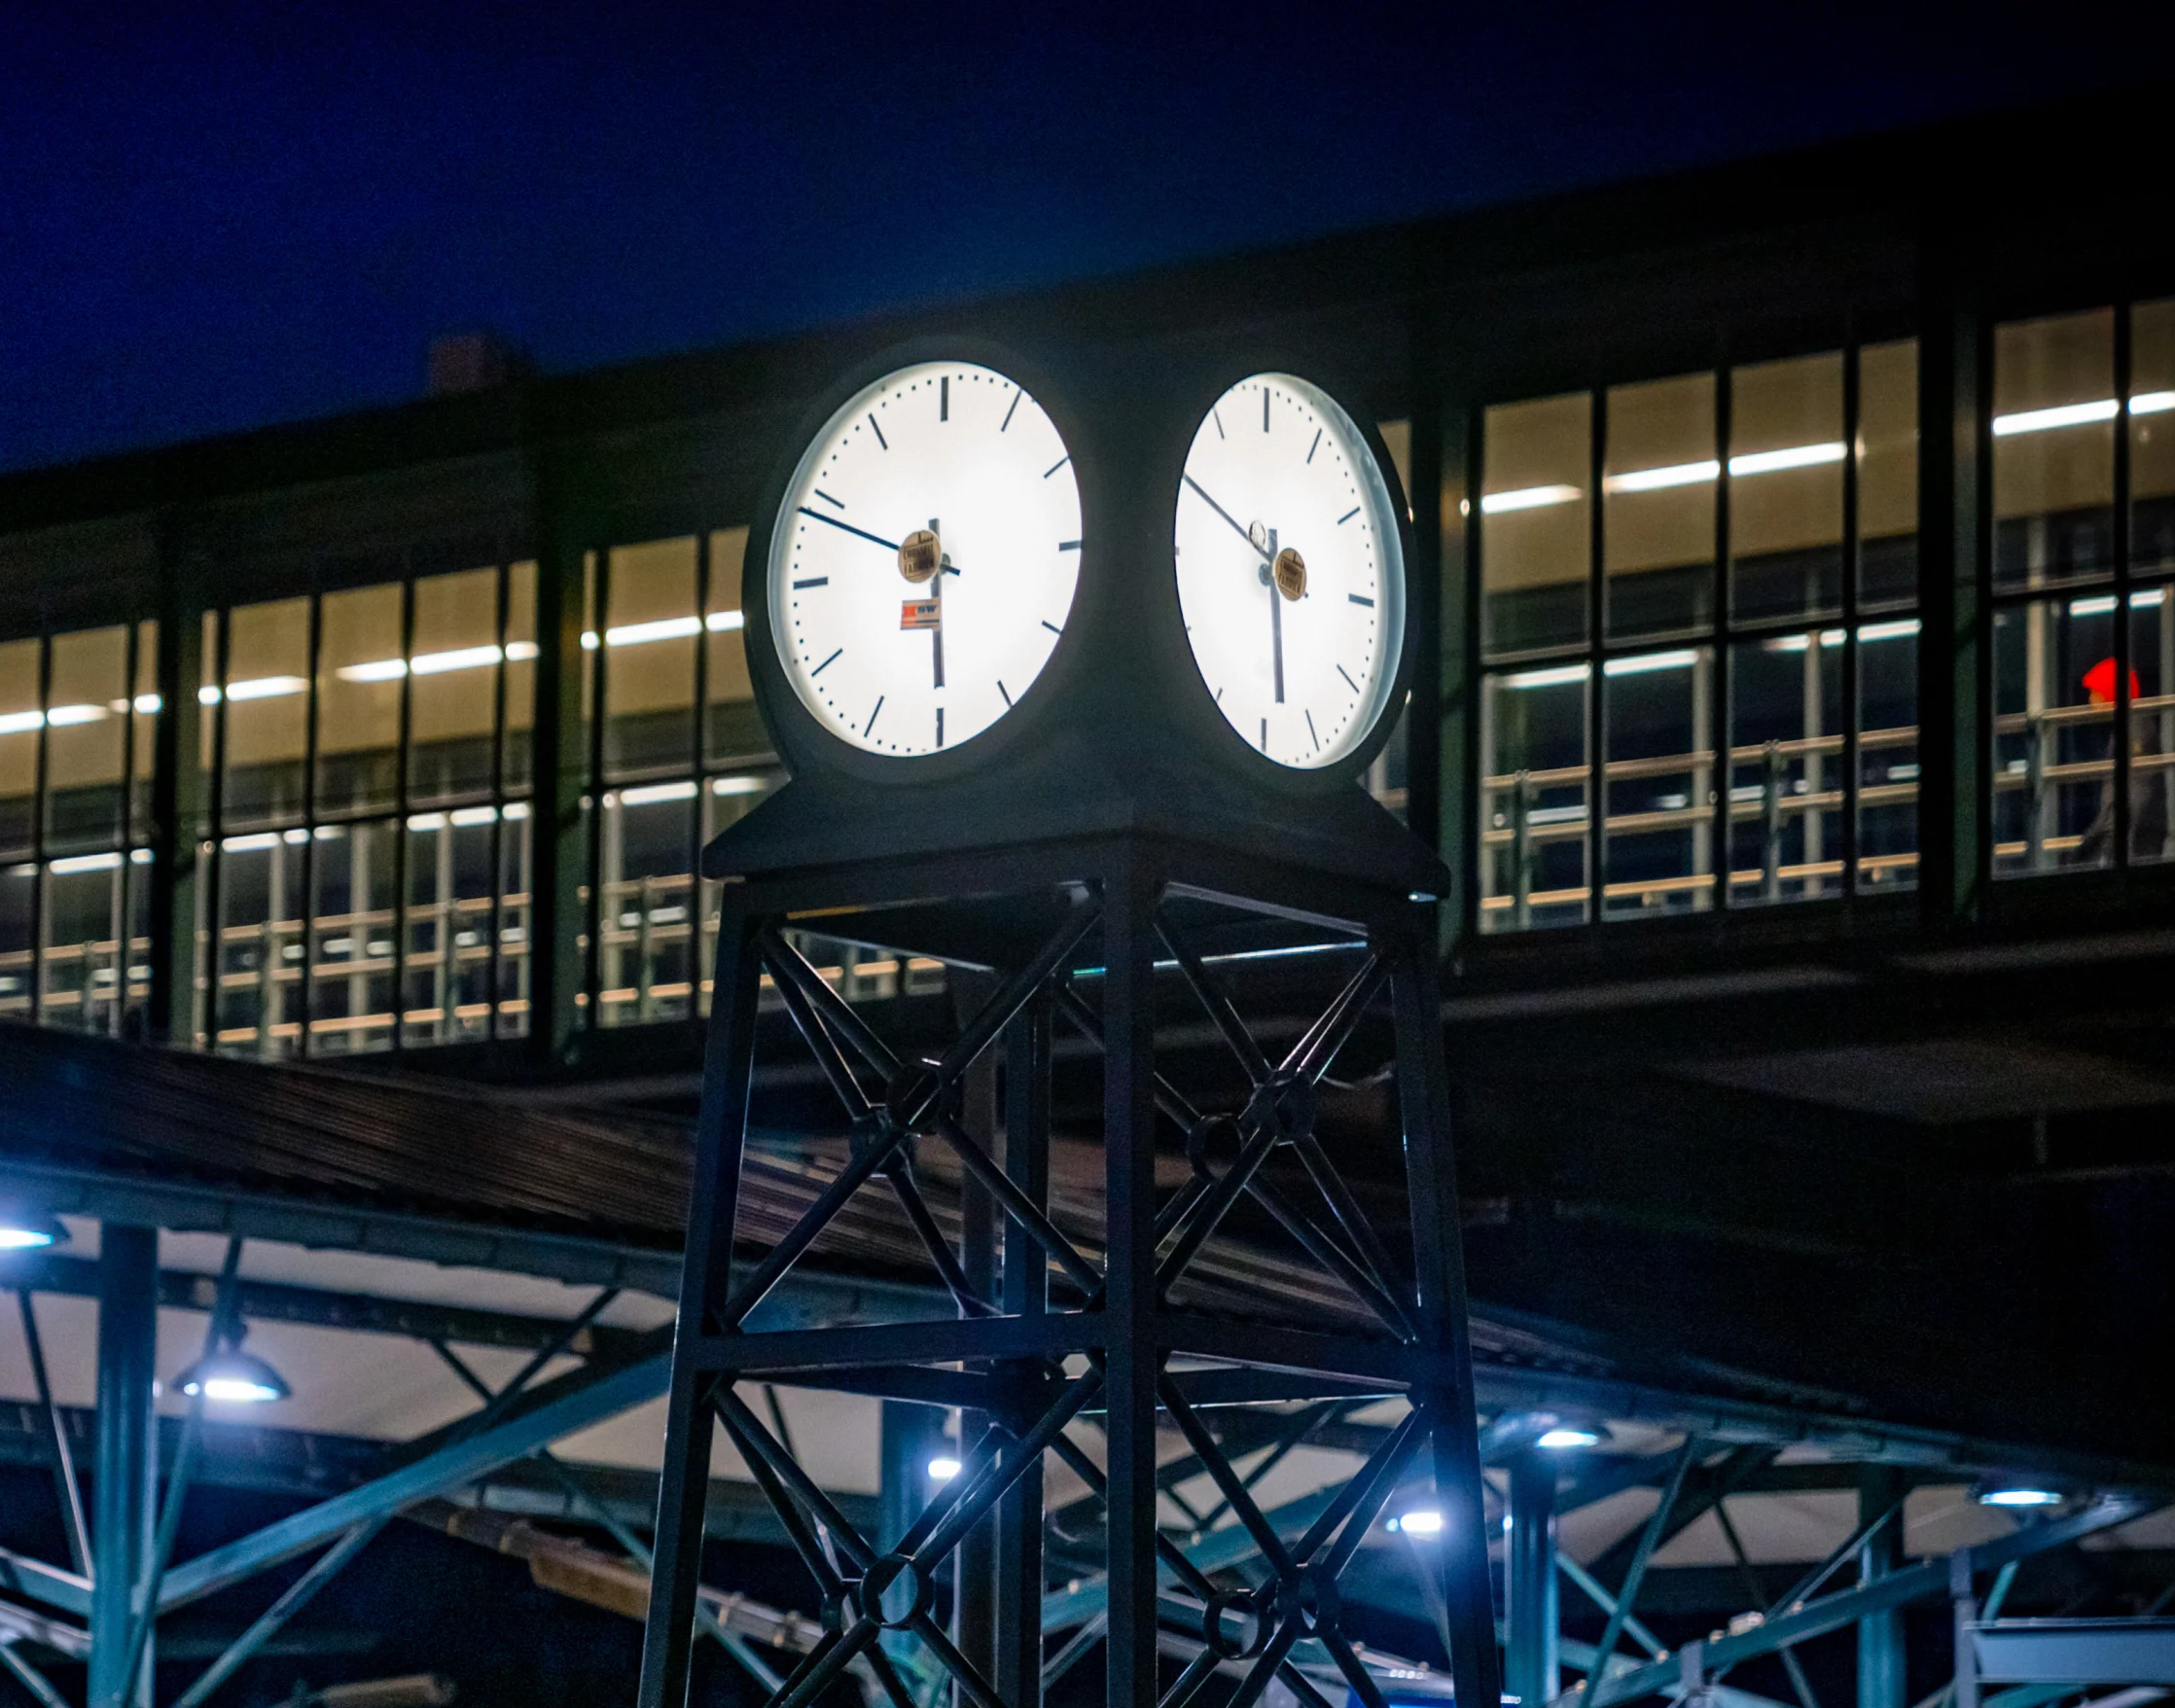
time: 5:49
